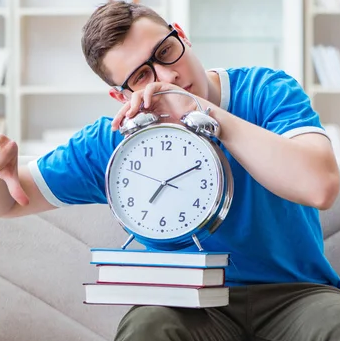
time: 7:10
